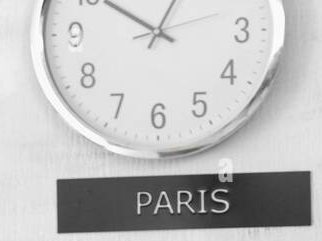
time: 12:50
